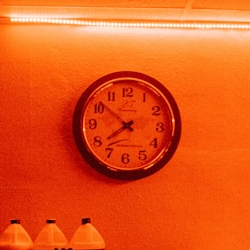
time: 7:51
